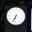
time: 6:34
